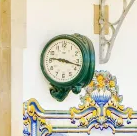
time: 9:17
